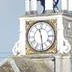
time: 11:28
